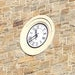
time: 11:41
